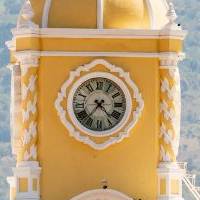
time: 4:36
